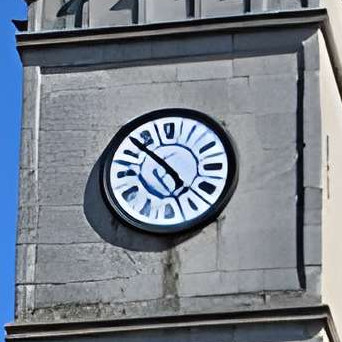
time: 4:52
